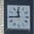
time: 11:44
